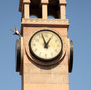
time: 12:57
